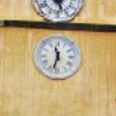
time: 11:32
